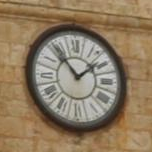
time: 1:53
